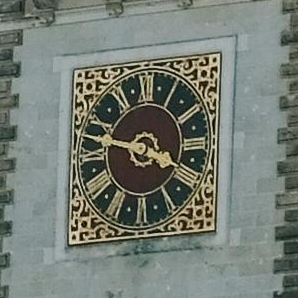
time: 3:47
